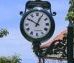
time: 12:50
